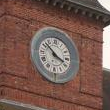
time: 3:52
